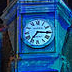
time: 7:15
